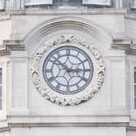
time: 2:52
